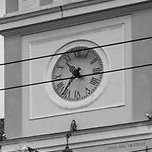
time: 10:36
